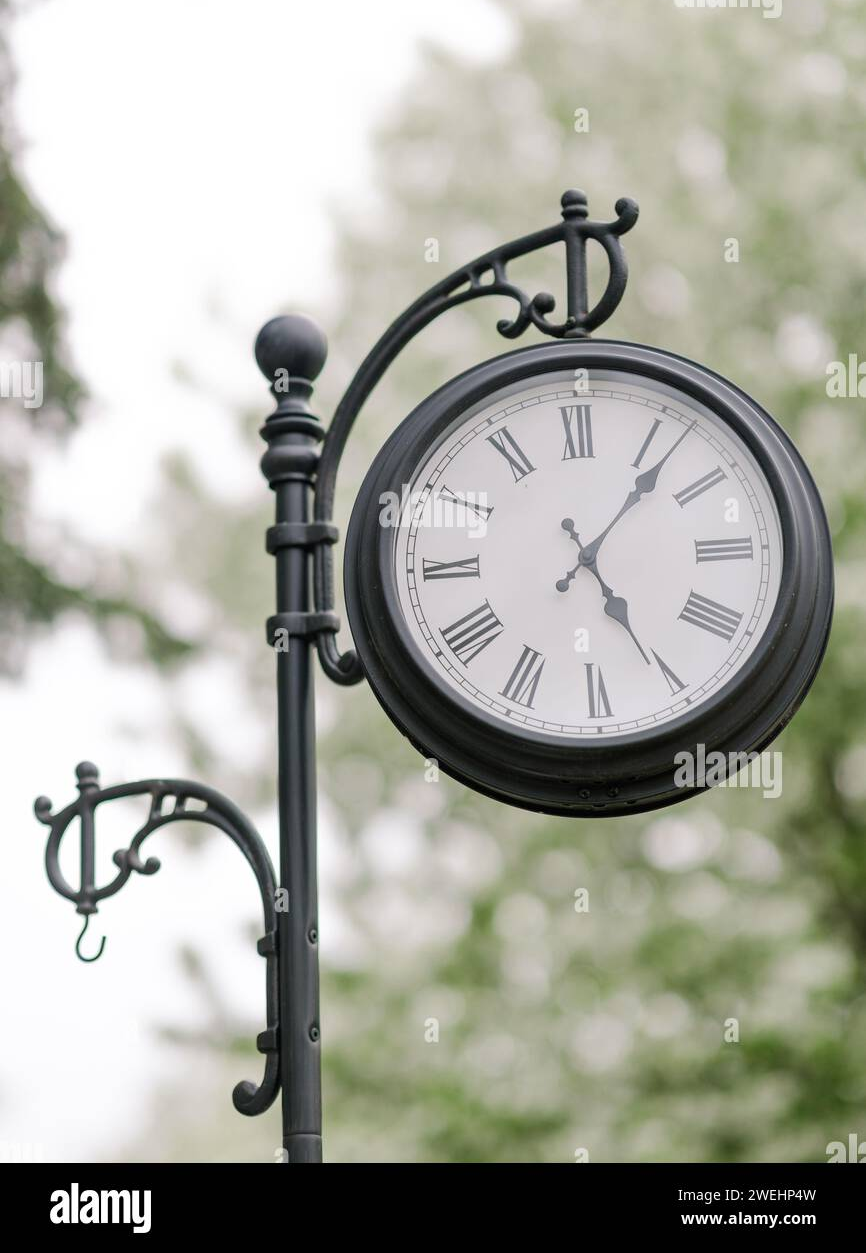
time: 5:06
